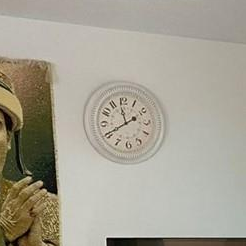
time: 11:40
